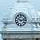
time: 10:12
